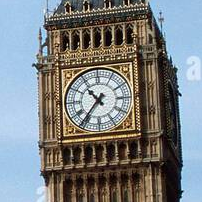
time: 10:36
